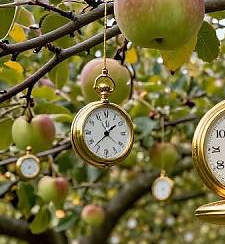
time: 1:37
